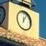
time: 12:05
